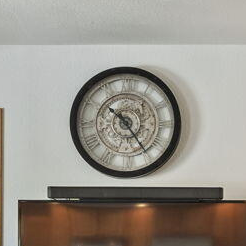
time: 10:24
